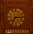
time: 7:15
